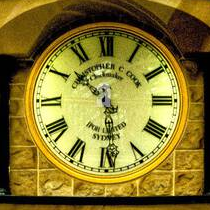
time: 10:28
